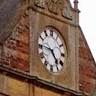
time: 4:45
